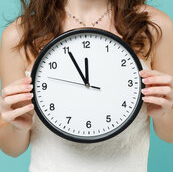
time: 11:55
